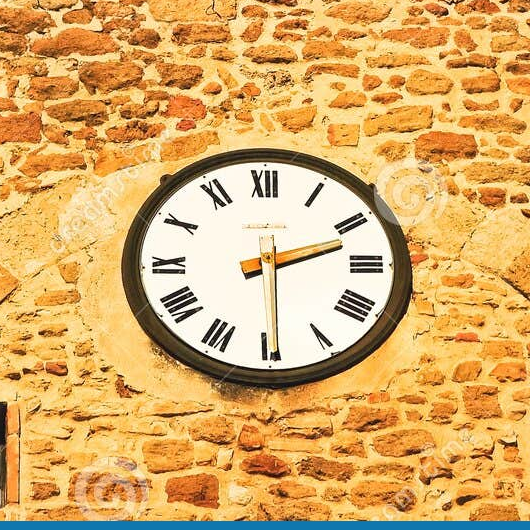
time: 2:29
